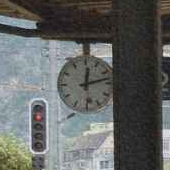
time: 12:12
